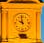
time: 9:58
